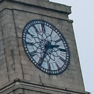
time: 2:34
